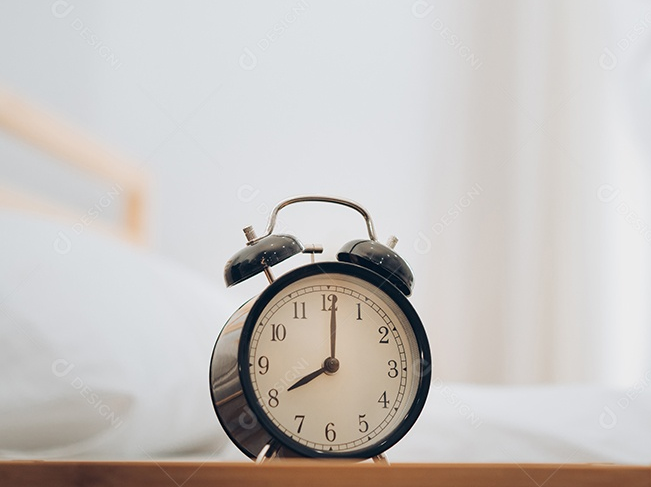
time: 8:00
